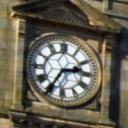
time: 2:35
